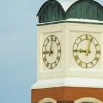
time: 9:01
